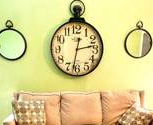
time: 2:32
